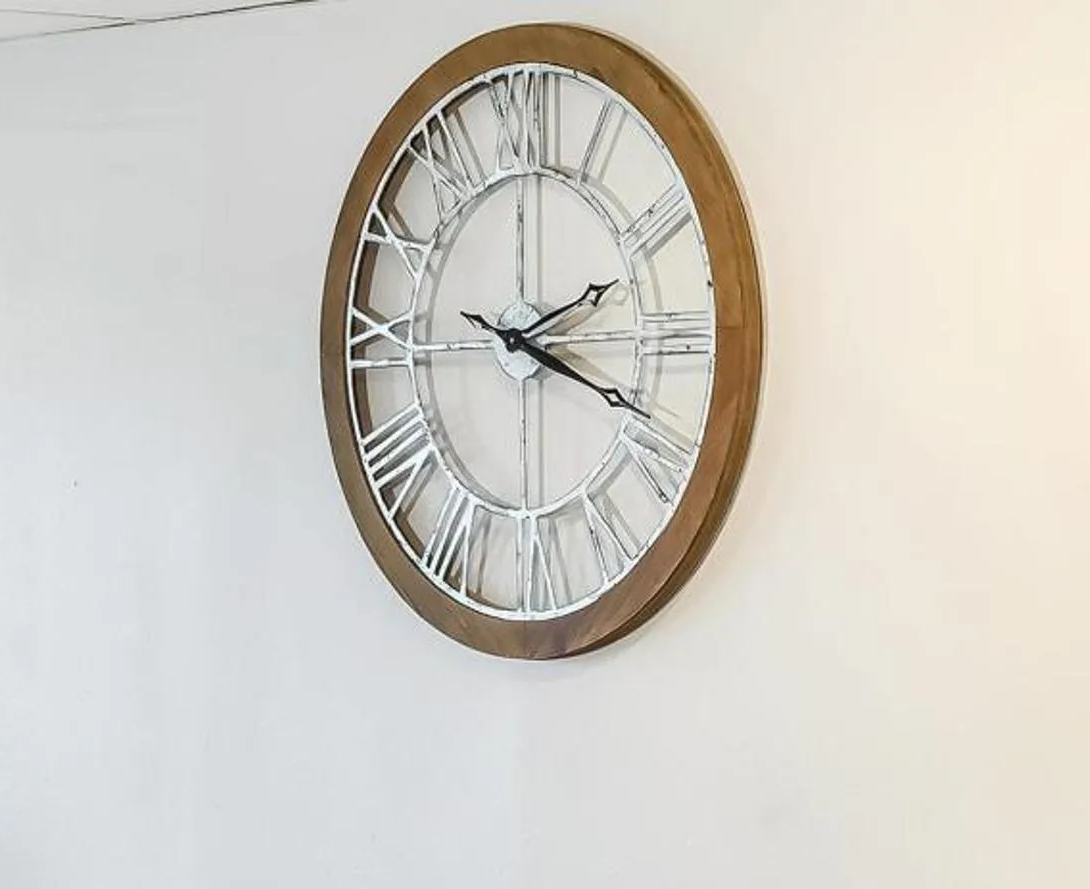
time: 2:18
